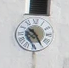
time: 10:24
